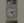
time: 2:23
